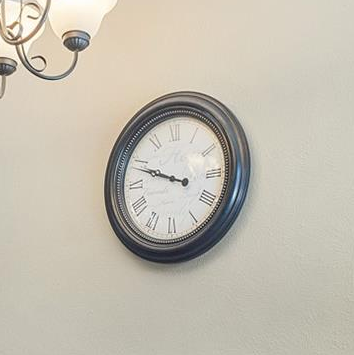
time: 9:48
